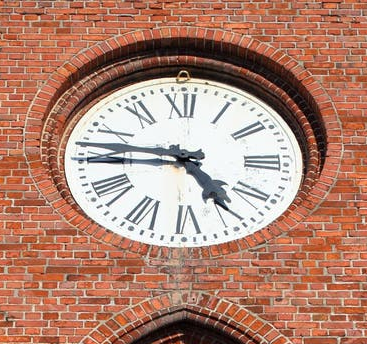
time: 4:46
